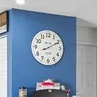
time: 8:10
